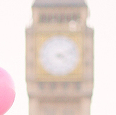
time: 4:12
